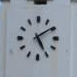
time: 5:09
